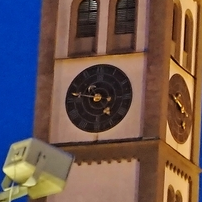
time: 4:46
